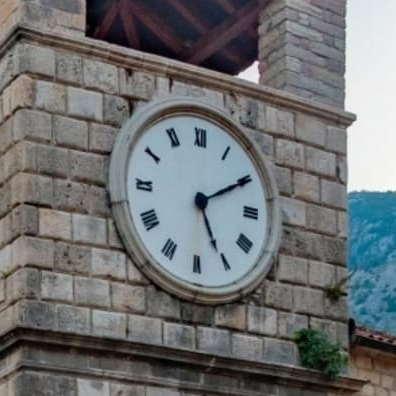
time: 5:10
